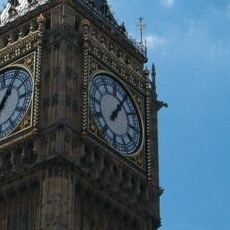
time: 1:05
